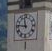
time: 11:46
